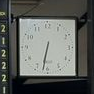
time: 6:32
